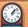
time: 1:07
